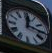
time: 12:16
